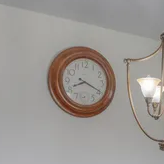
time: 8:19
